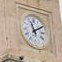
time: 11:09
